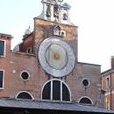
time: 7:52
